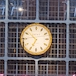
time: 6:51
